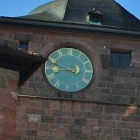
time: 8:48
